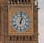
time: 1:01
